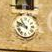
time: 10:48
